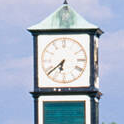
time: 6:38
